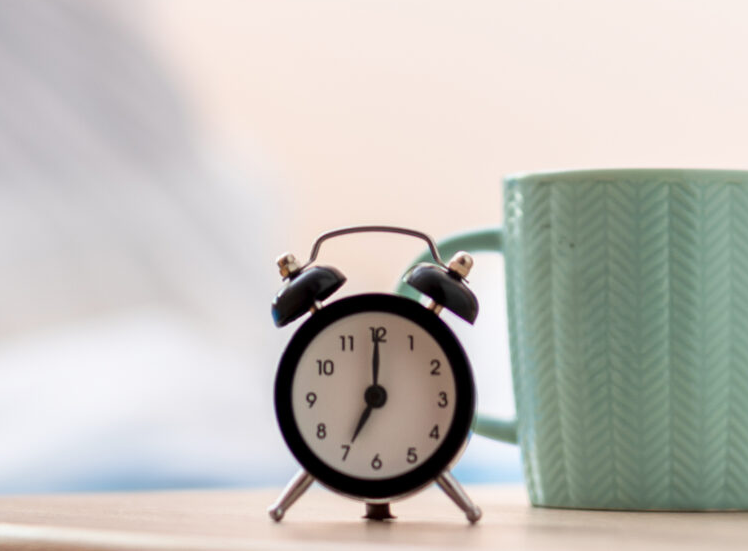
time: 7:00
